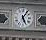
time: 5:05
